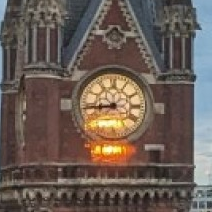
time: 8:43
